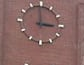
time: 2:59
